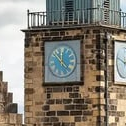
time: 11:52
